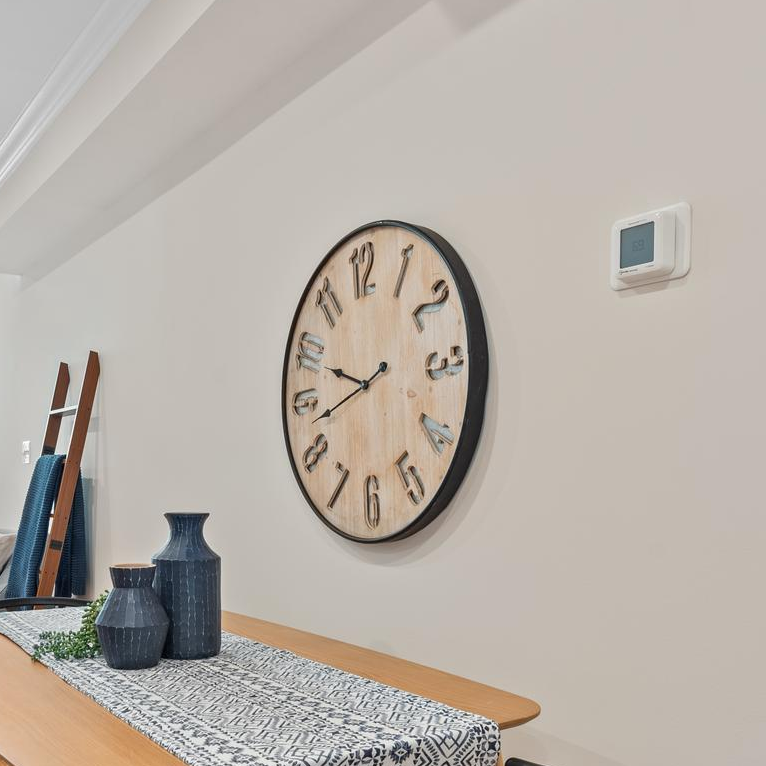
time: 9:42
